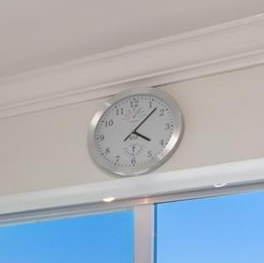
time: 4:07
